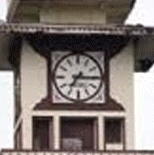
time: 7:15
